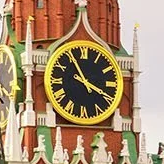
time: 3:55
